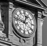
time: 12:46
